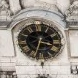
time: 3:33
